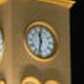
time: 11:32
